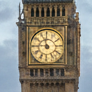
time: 11:45
